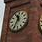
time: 11:35
